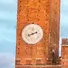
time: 8:11
